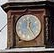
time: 12:23
